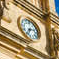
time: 7:12
